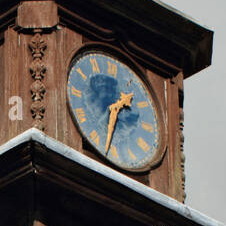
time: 1:32
